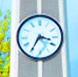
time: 3:34
